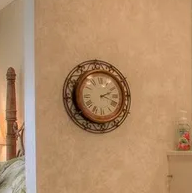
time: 2:18
